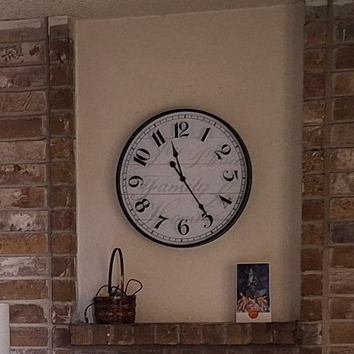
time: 11:24
